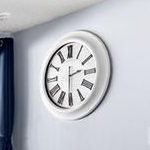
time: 2:30
